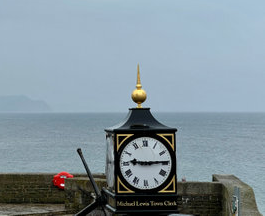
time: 9:14
